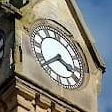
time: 3:40
